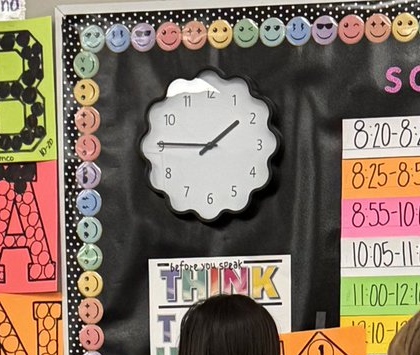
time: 1:45
